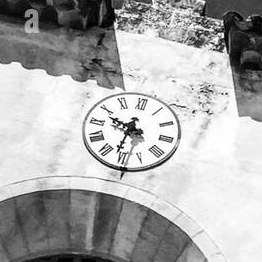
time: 9:31
